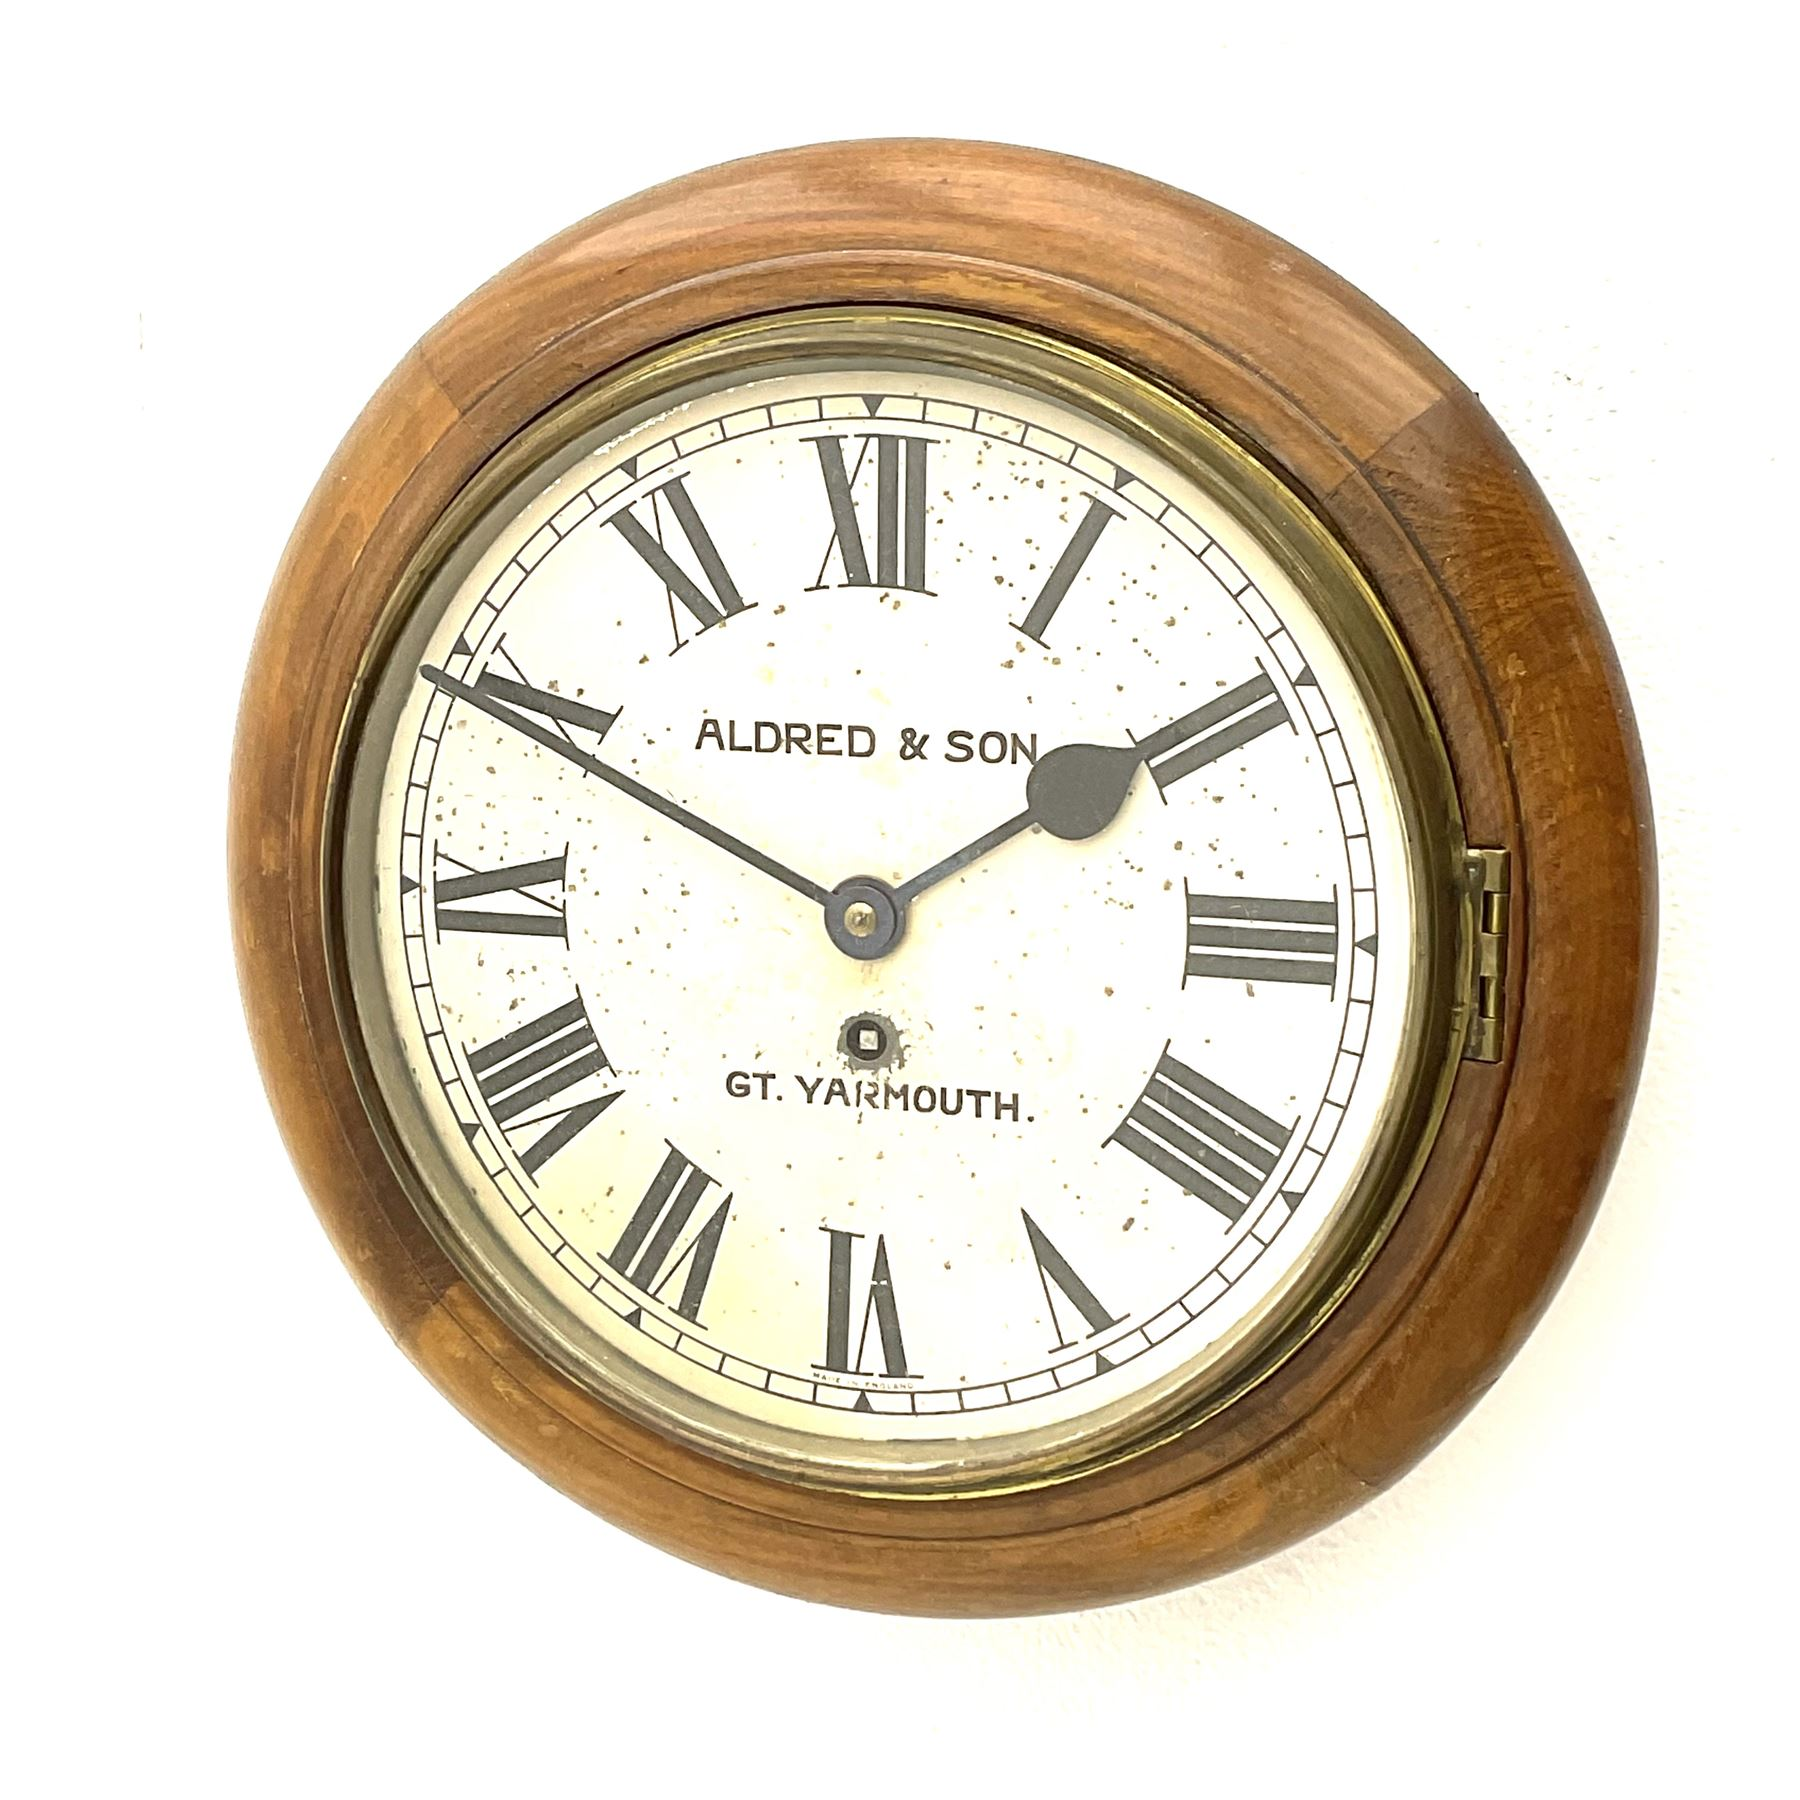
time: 1:49
